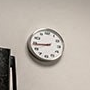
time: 8:44
